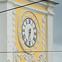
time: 6:32
